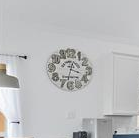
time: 3:33
